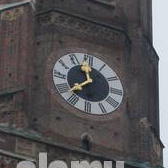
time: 11:37
